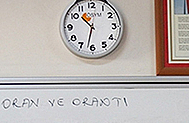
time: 10:32
